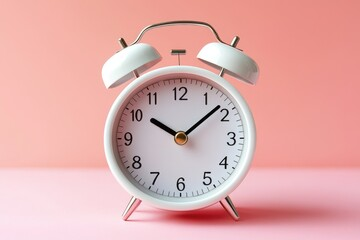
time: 10:08
